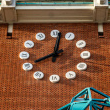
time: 8:01
